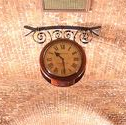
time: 10:28
